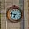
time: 6:47
